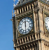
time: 12:30
